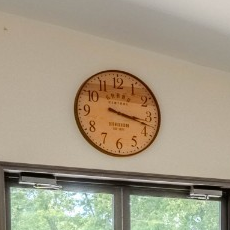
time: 3:17
